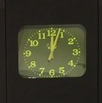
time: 12:03
